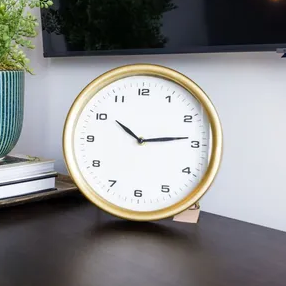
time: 10:13
